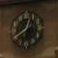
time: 12:40
